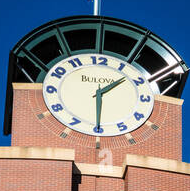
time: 1:30
